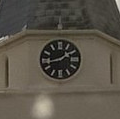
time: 1:43
